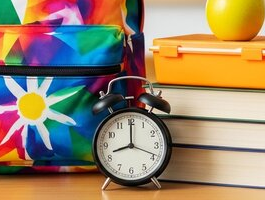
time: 8:18
